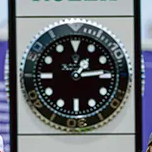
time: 1:13
